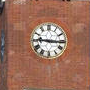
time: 9:15
